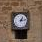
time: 1:13
